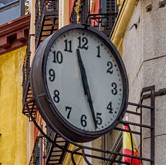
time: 11:26
